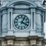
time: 4:04
